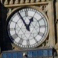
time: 12:55
